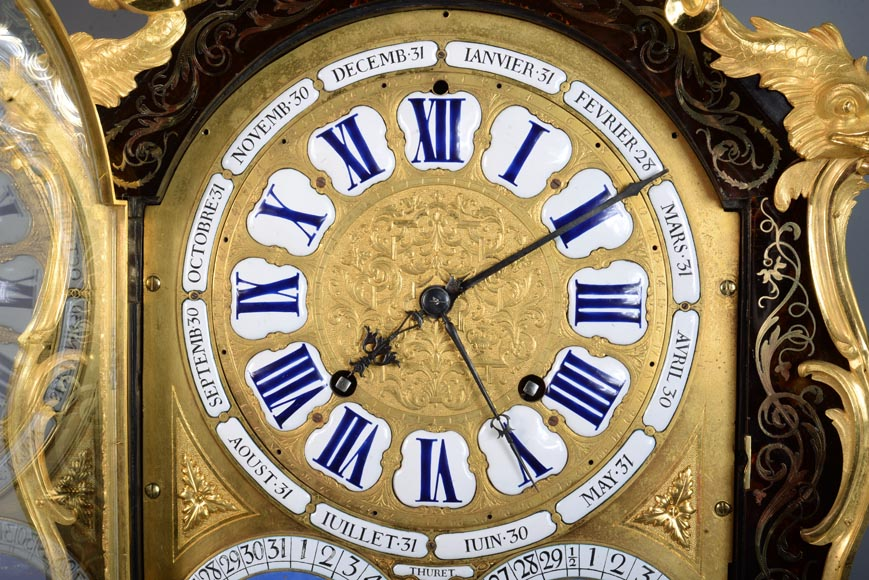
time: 7:09
